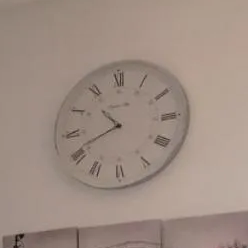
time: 10:41
